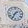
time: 1:34
